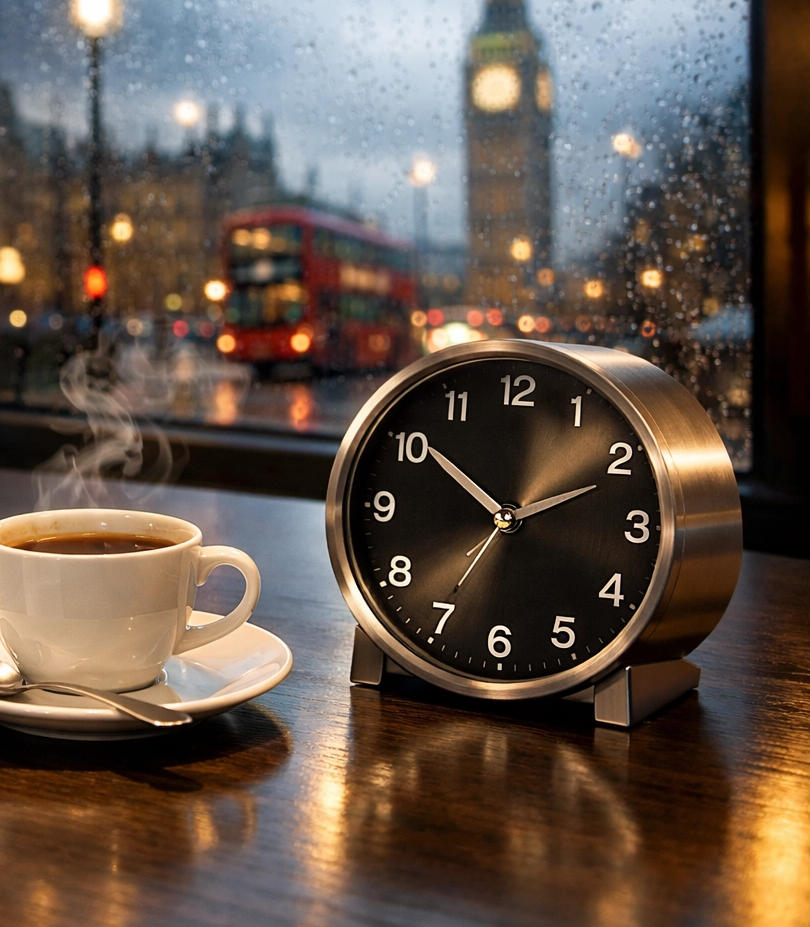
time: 10:11
